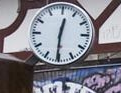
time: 12:30
